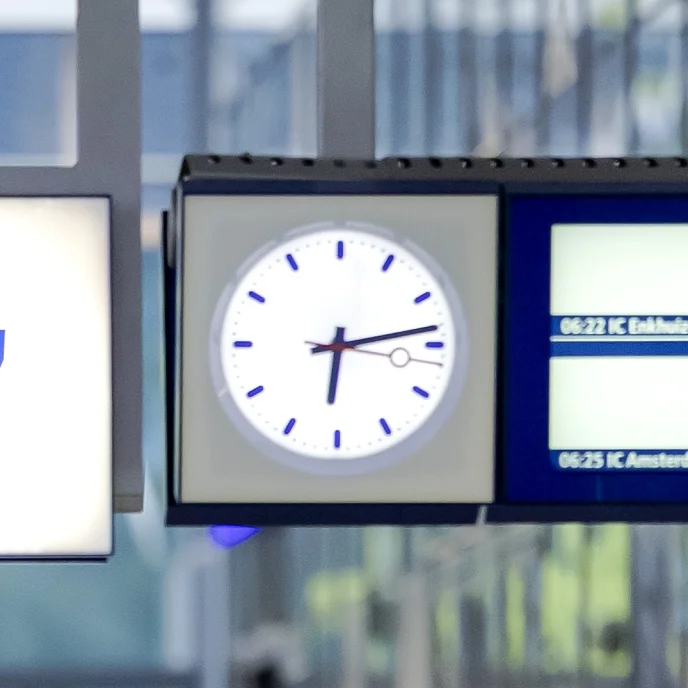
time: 6:13
